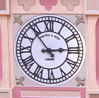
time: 2:53
